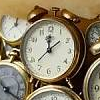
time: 12:08
